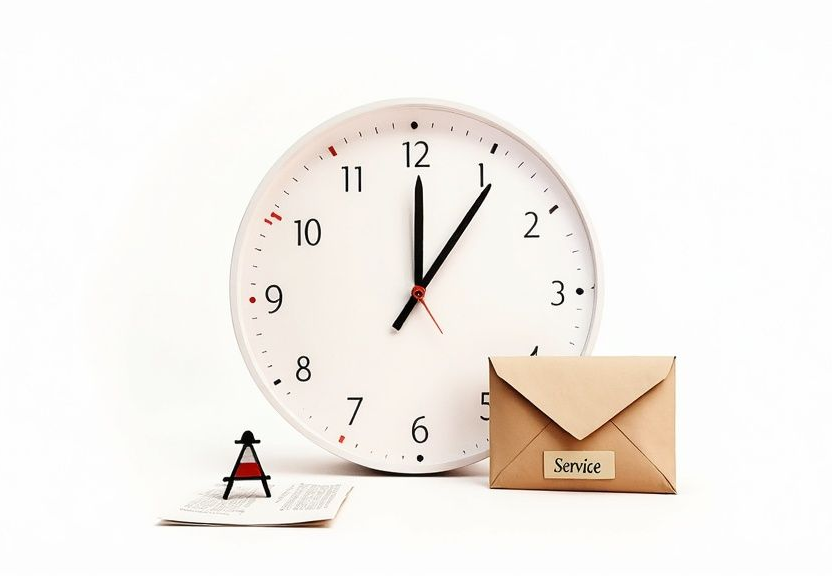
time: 12:06
